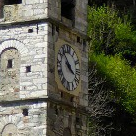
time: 3:52
